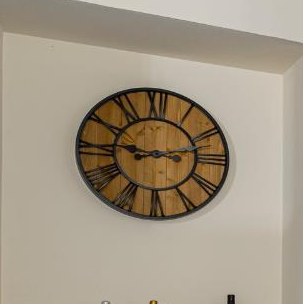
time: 9:12
